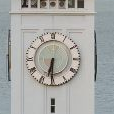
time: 6:30
